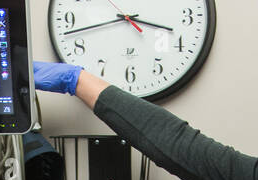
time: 3:42
